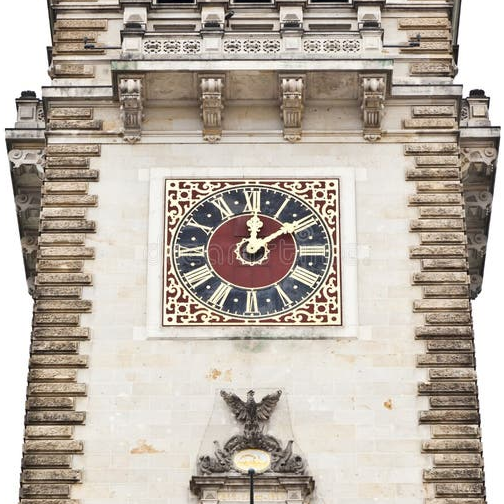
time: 12:09
